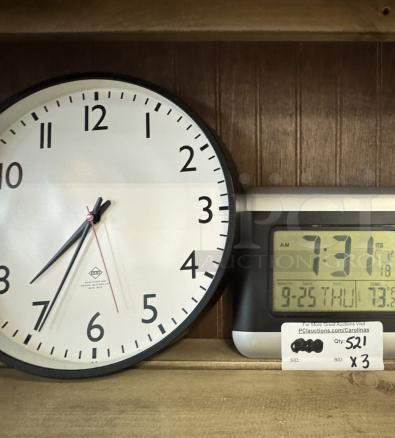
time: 7:34
